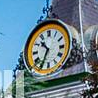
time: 10:34
